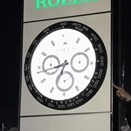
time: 6:43
